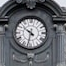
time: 4:31
